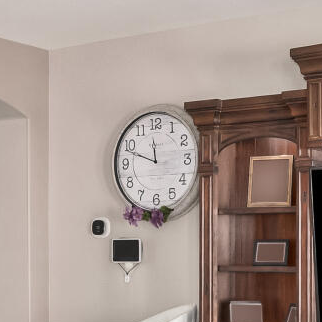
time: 11:48
